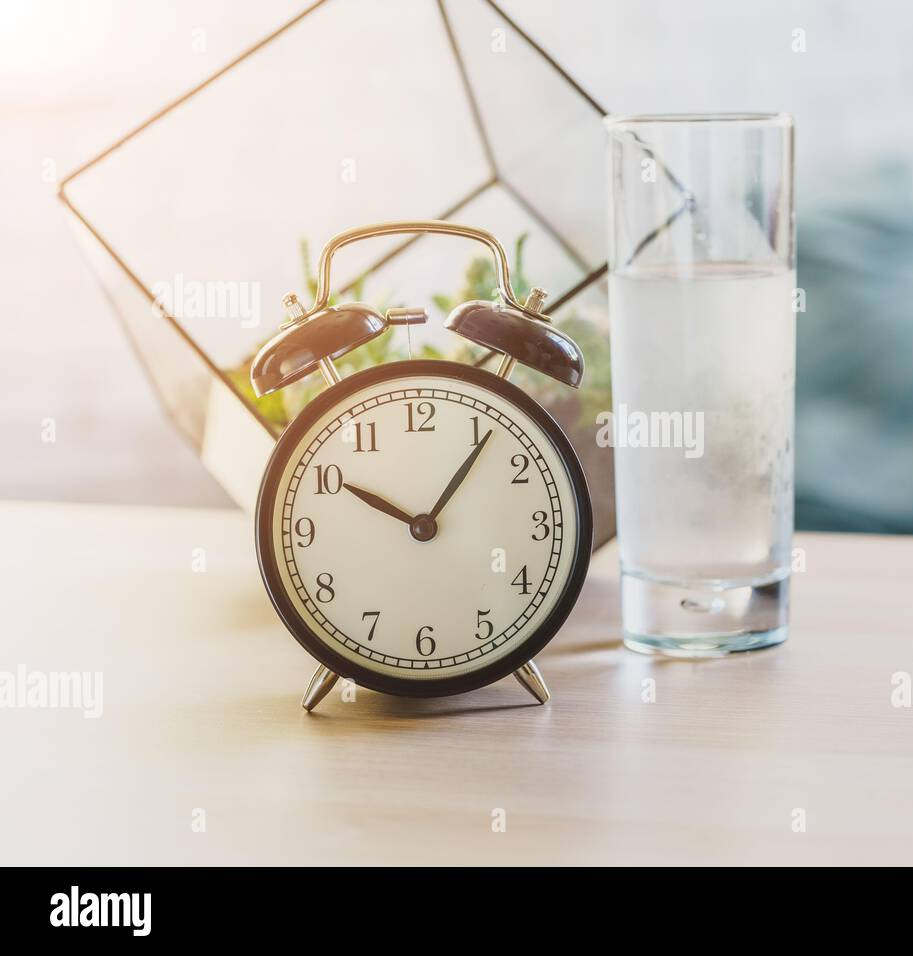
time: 10:06
